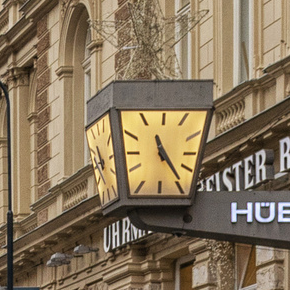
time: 11:23
